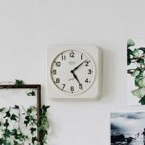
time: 5:08
